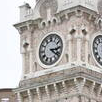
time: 3:21
